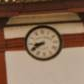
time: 8:40
